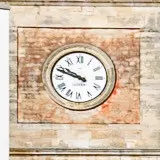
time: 9:48
